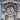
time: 4:57
